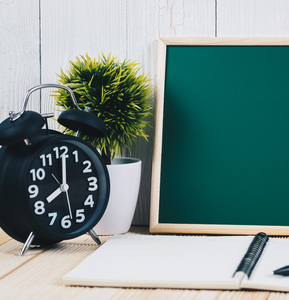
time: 8:01
